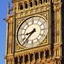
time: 8:37
